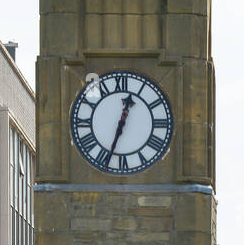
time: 12:33
